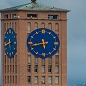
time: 5:43
